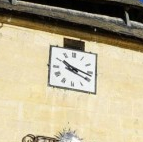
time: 10:17
